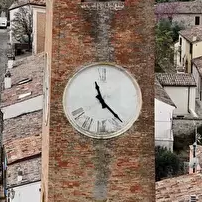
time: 11:22
